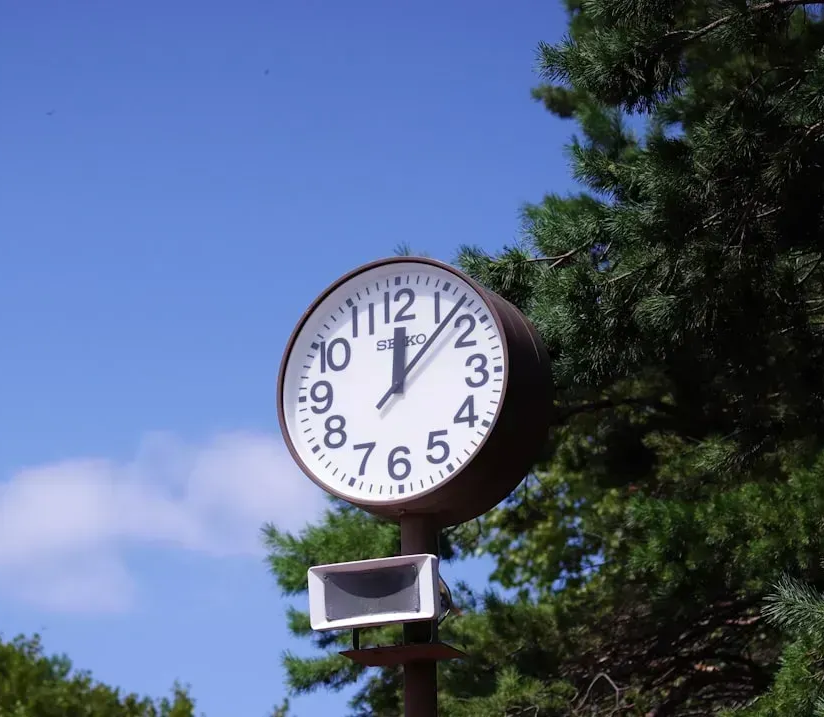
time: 12:07
